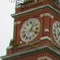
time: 1:18
